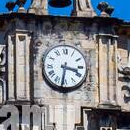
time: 3:31
